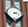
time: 2:18
